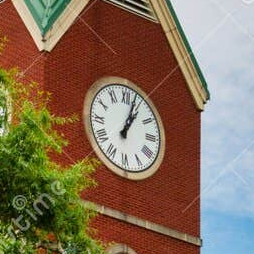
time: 1:03
